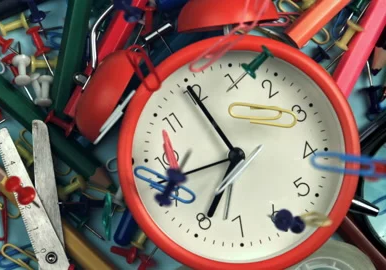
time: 6:54
